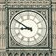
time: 8:50
